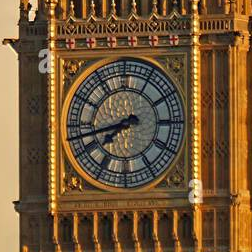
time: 7:42
